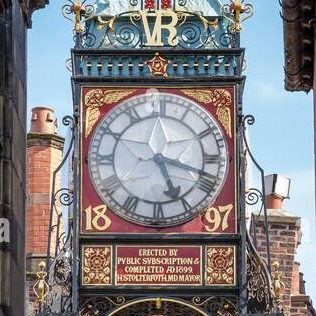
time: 5:18
